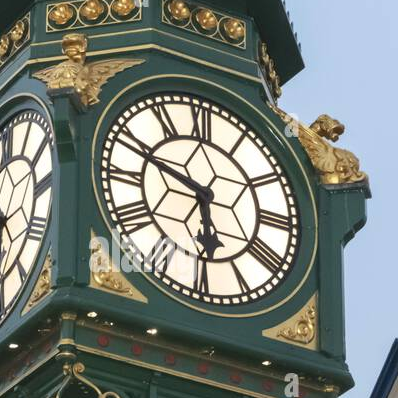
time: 5:48
